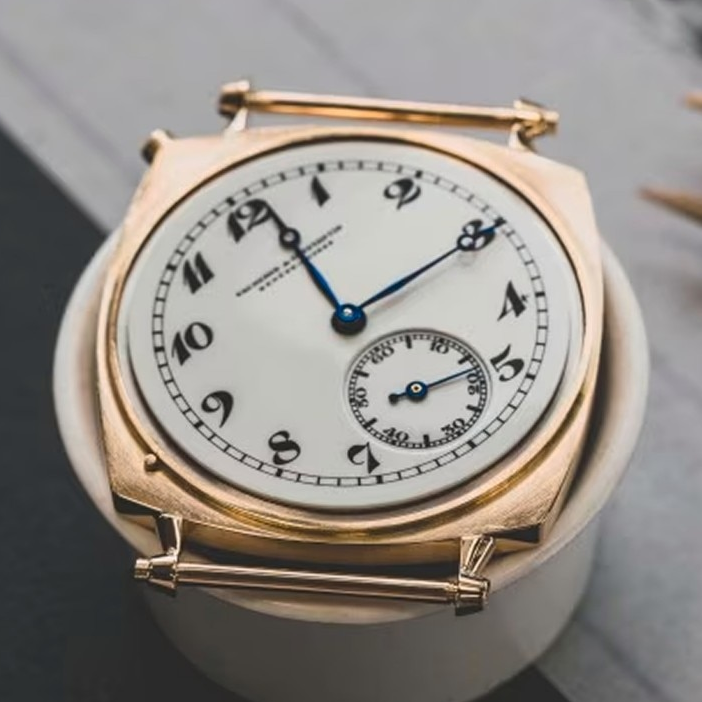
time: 1:56
